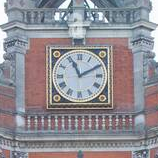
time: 11:10
